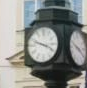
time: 3:48
